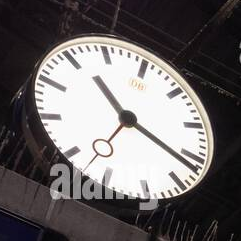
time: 11:21
